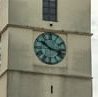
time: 10:17
